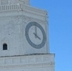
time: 4:00
